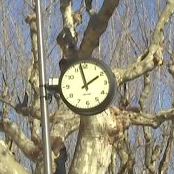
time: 1:57
